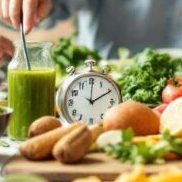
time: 2:00
